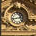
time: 2:43
